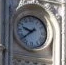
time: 9:38
